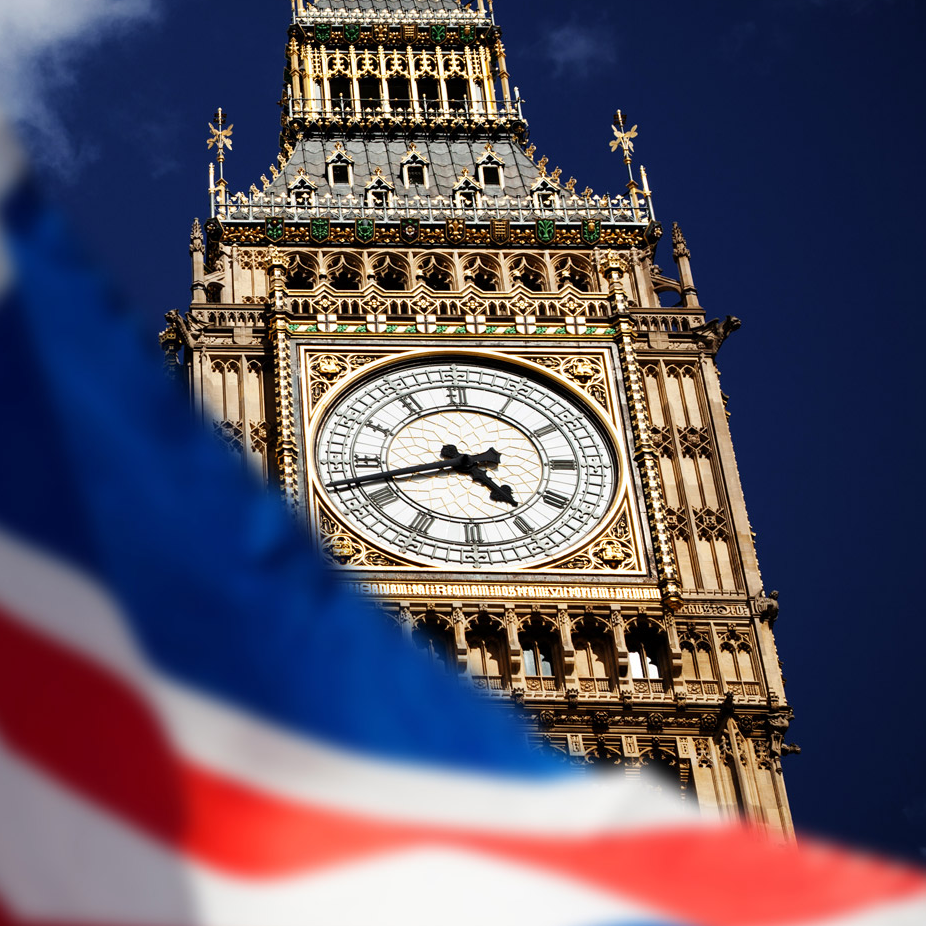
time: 4:42
